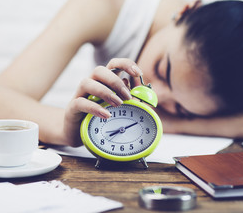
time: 8:10
